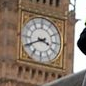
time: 3:40
